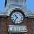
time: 10:36
